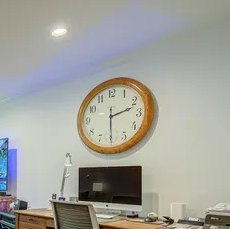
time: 2:29
